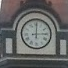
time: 3:00
